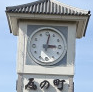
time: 3:02
